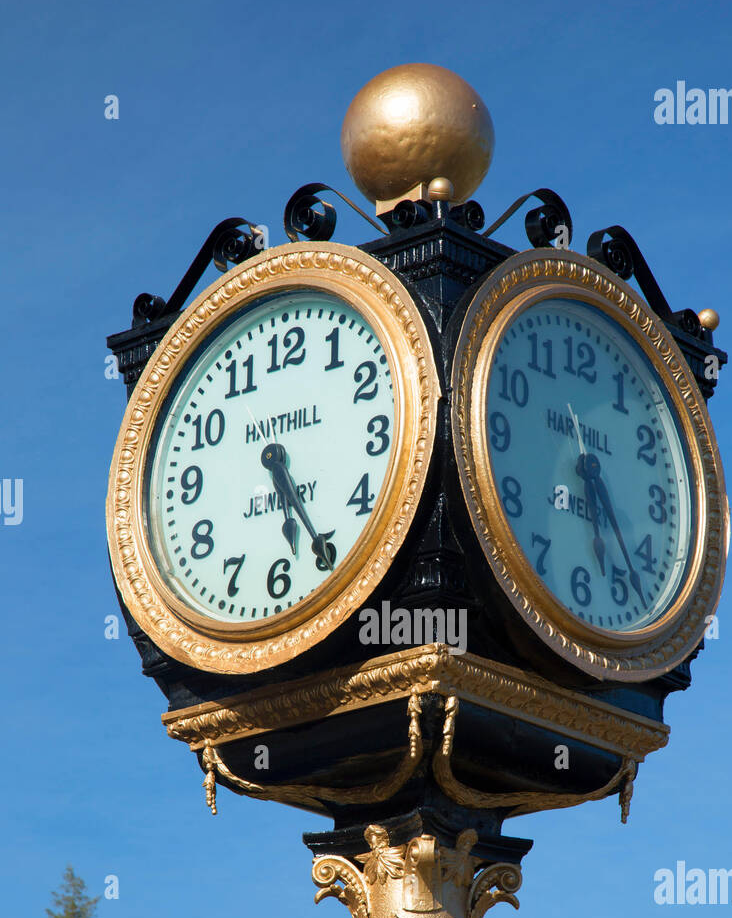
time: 5:24
